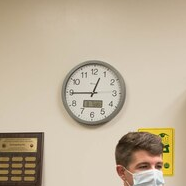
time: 12:44
